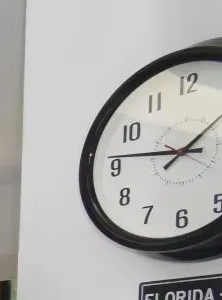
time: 1:46
